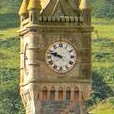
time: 9:47
